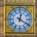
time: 12:20
